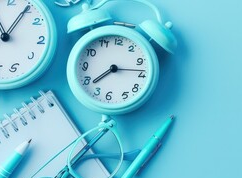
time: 2:38
